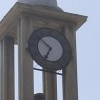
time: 6:52
